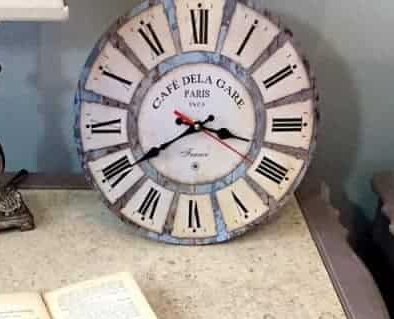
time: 3:39
